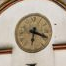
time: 6:18
